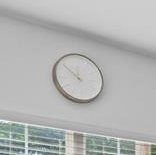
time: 11:52
